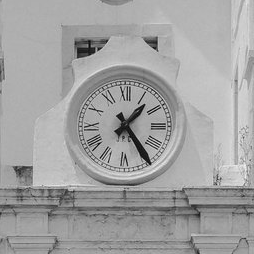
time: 1:24
